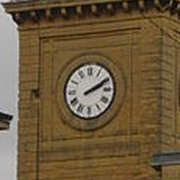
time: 2:09
